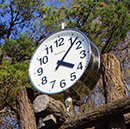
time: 4:07
